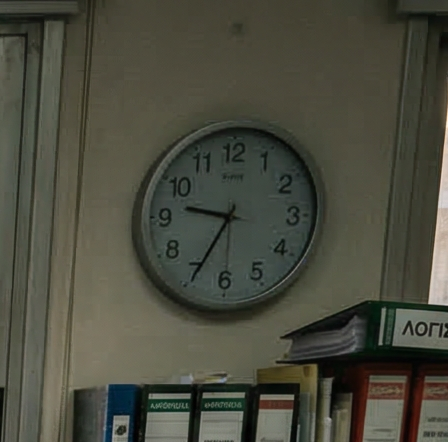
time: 9:34
